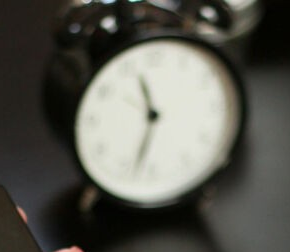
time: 11:32
